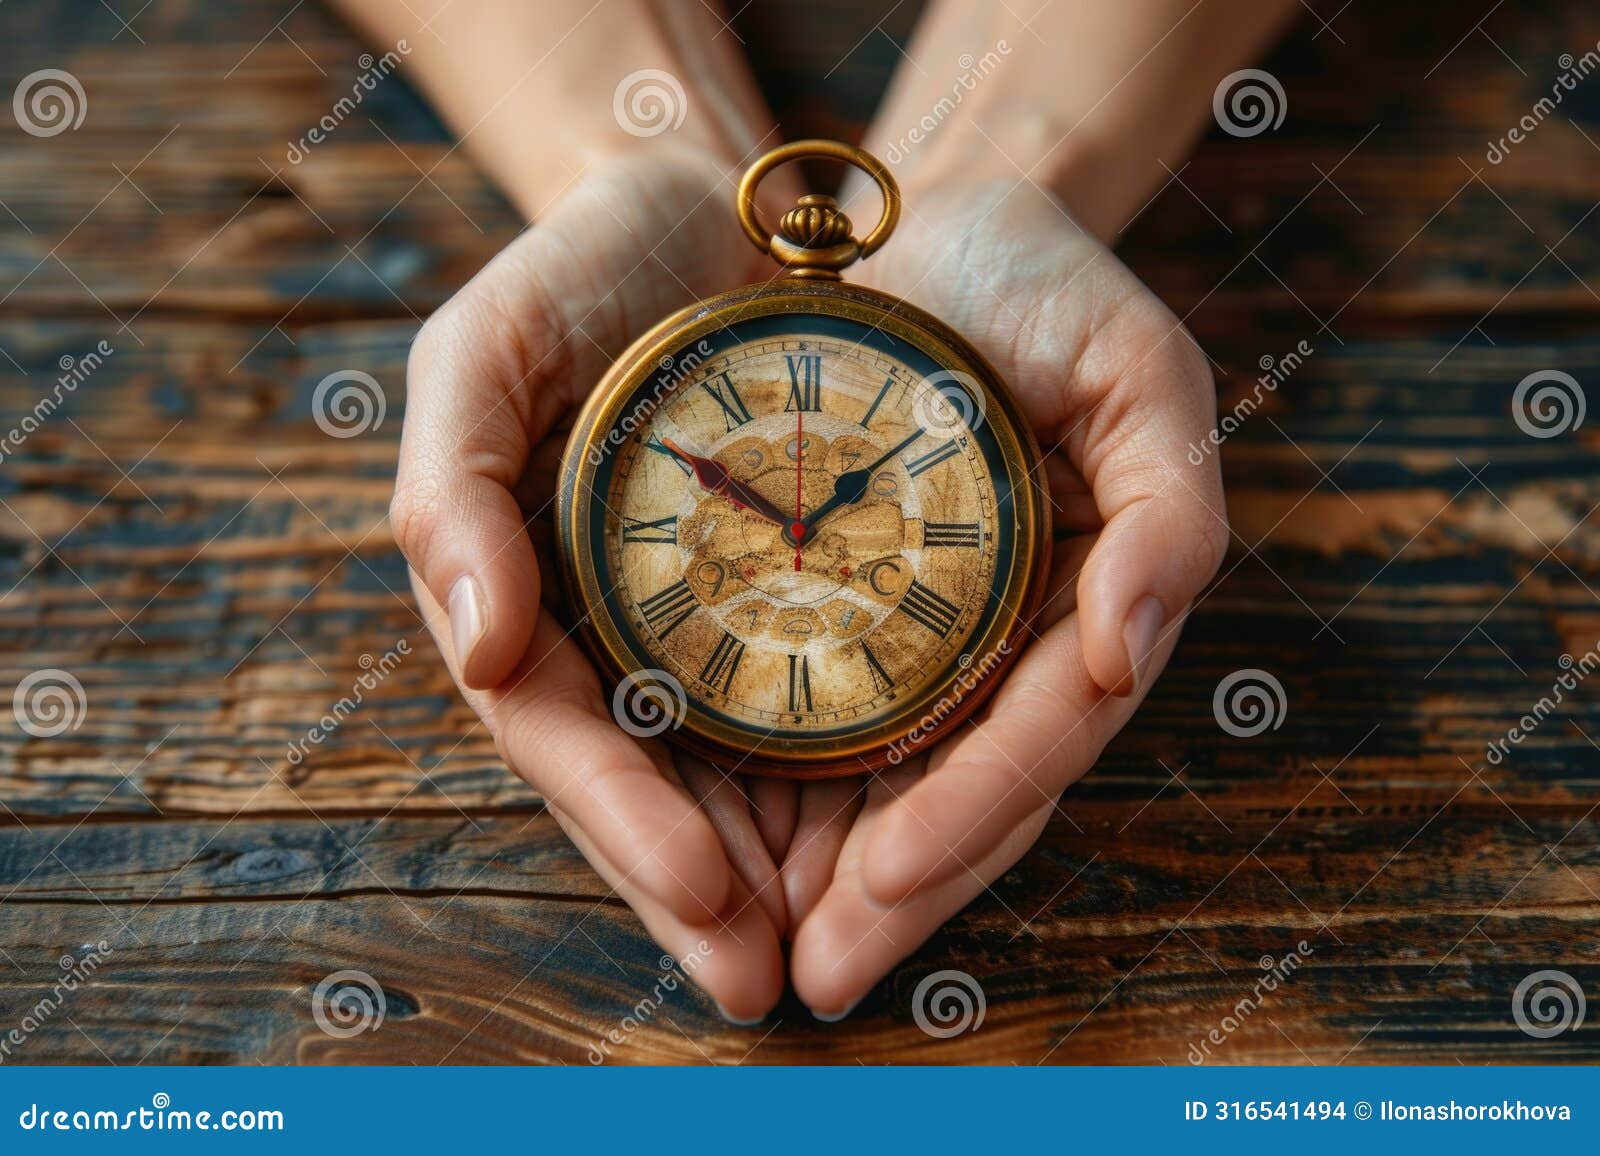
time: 1:50
